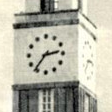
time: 2:36
